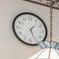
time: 1:26
